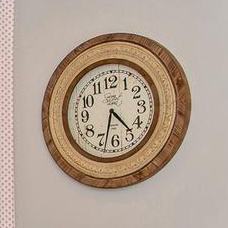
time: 4:32
